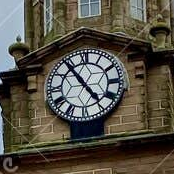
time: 4:54
